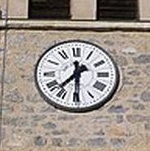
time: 7:30
